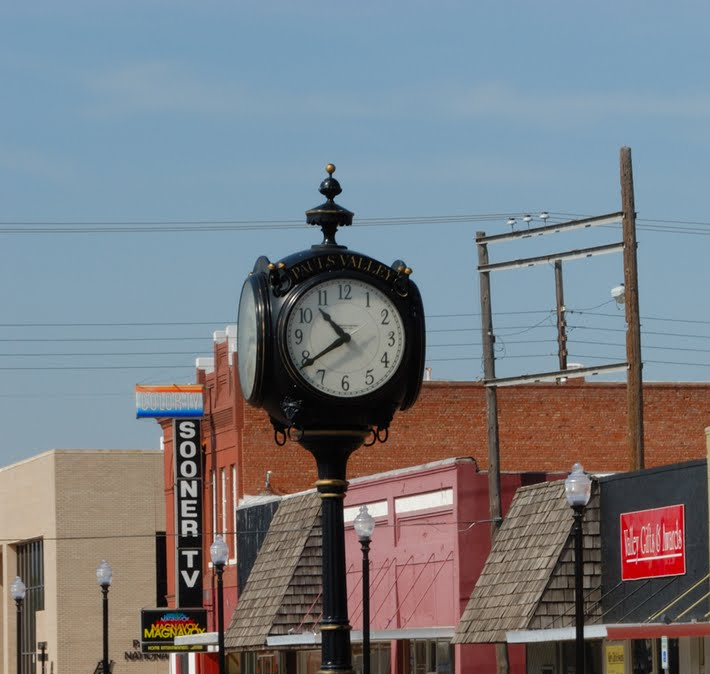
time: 10:39
